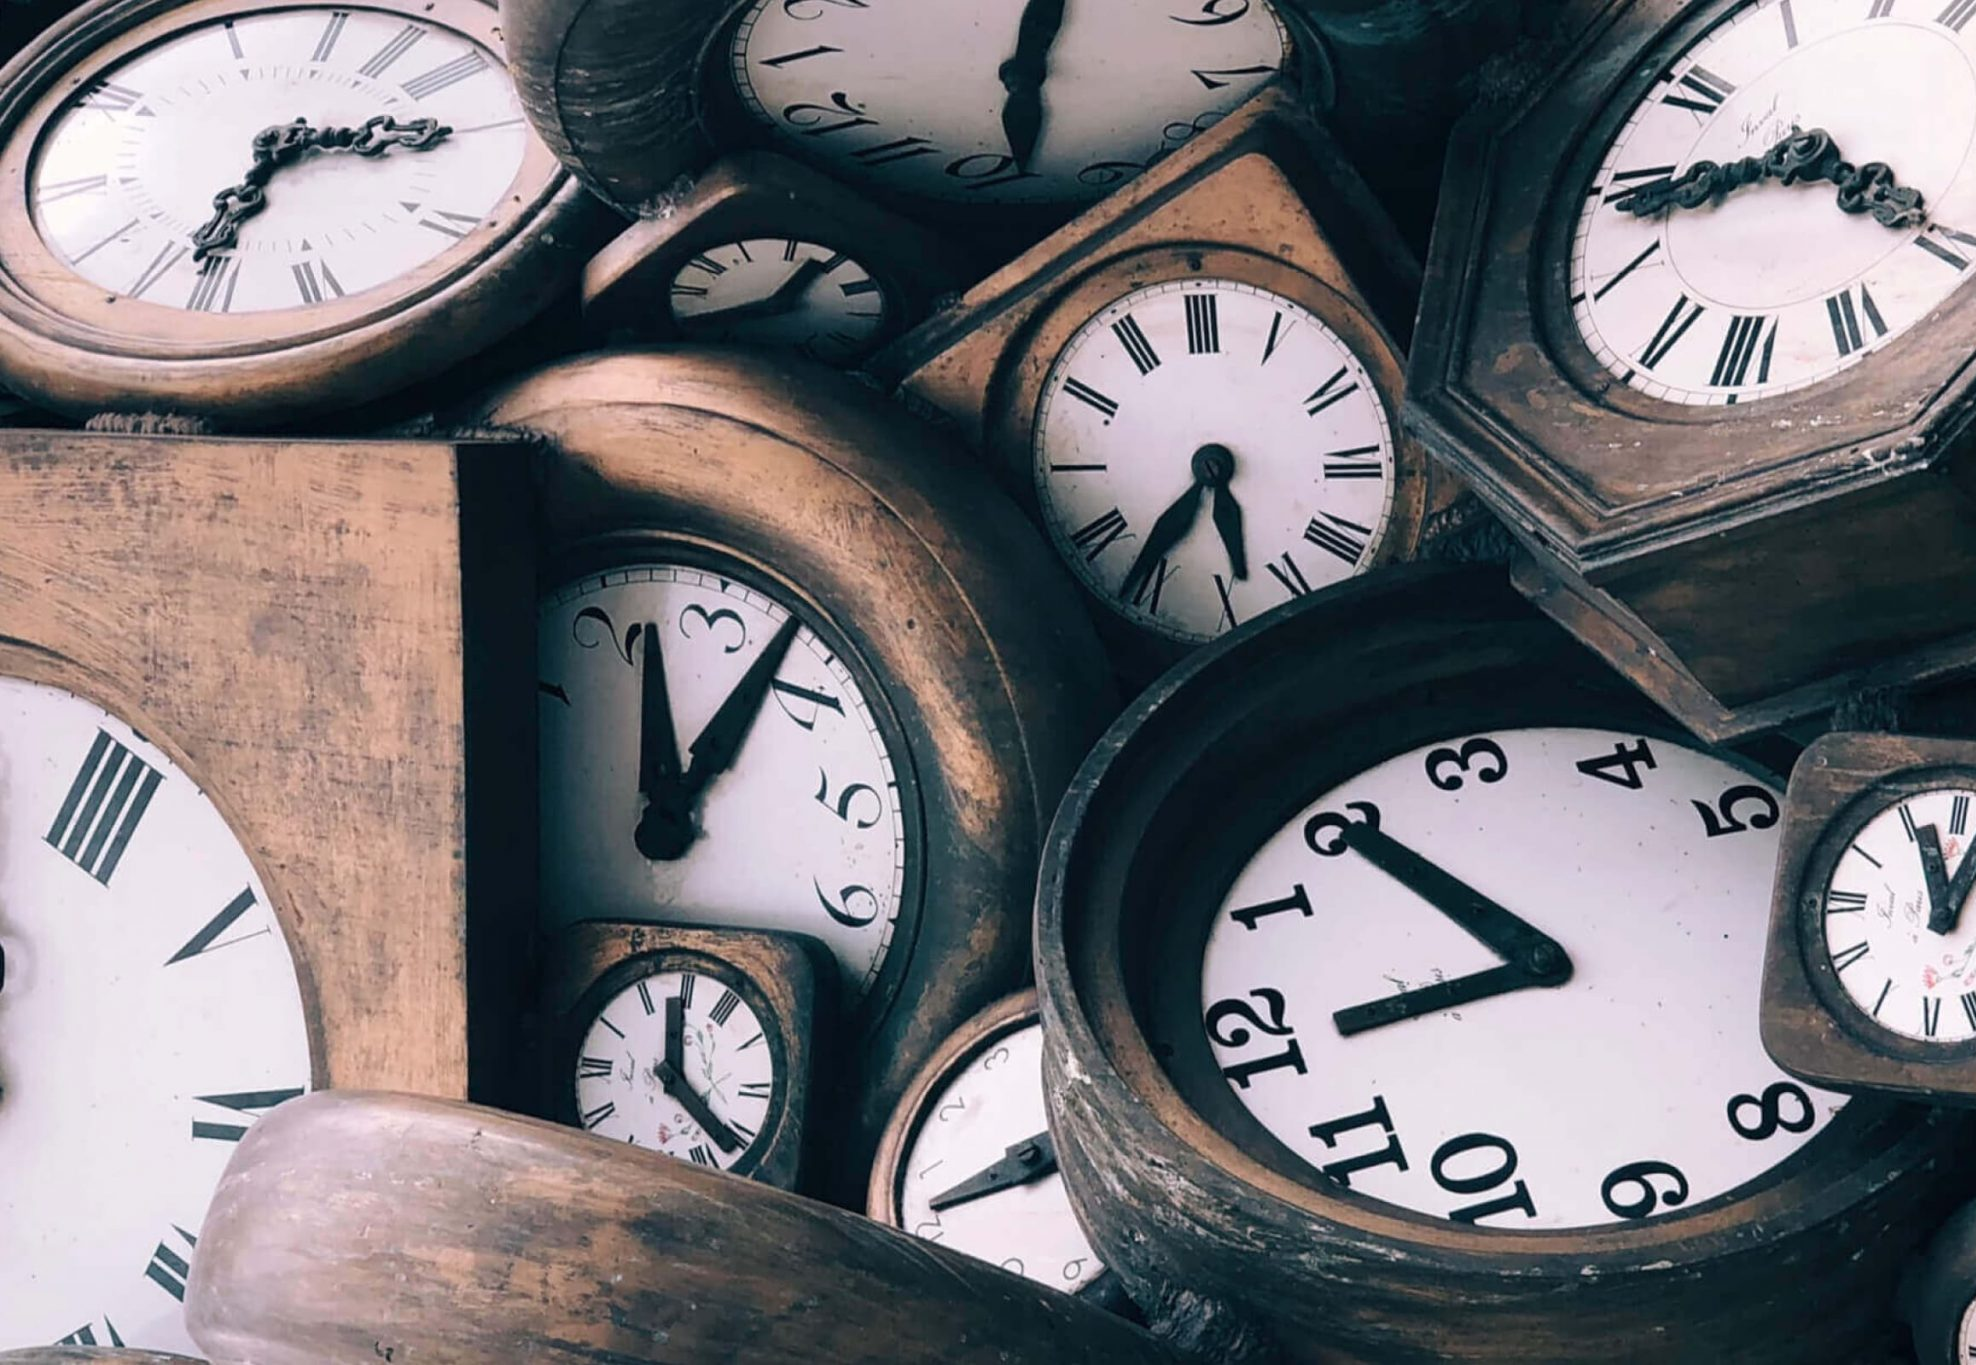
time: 12:07
